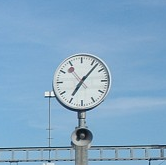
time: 7:07
